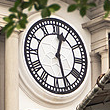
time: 12:26
